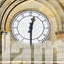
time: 12:30
